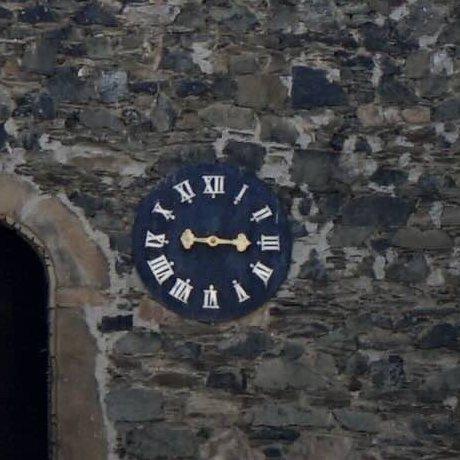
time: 9:15
